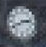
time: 2:40
